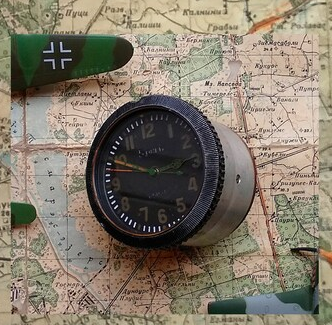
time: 2:48
